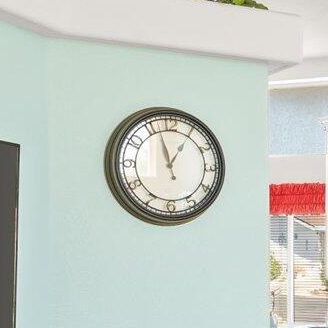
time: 12:57
